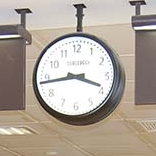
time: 3:43
